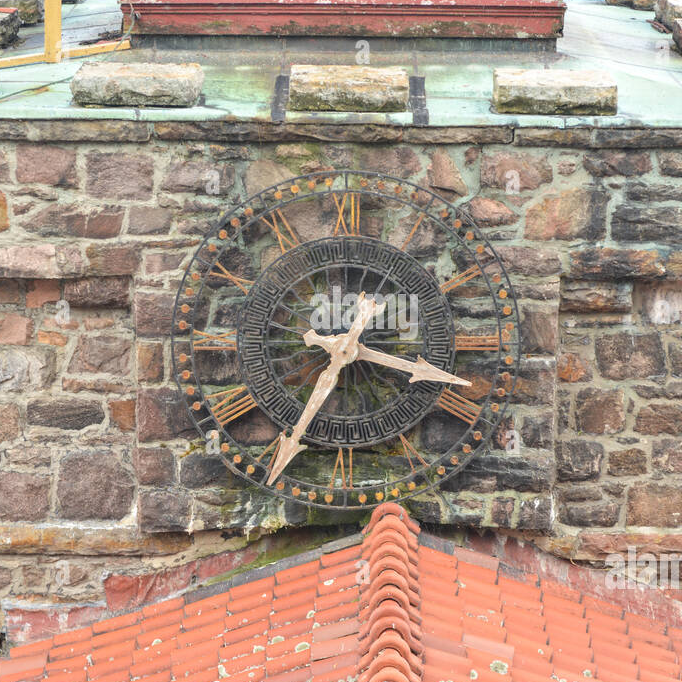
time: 3:34
